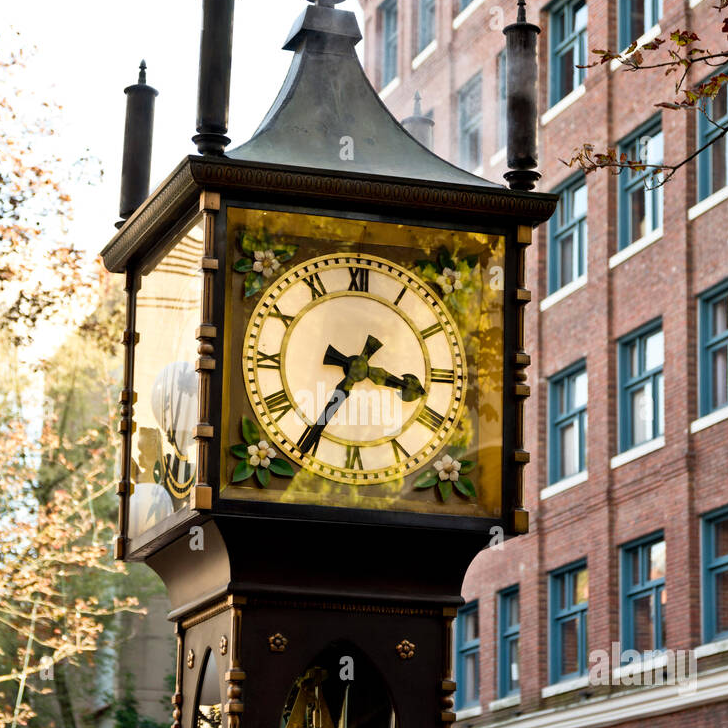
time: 3:35
